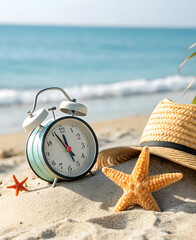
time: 11:55
